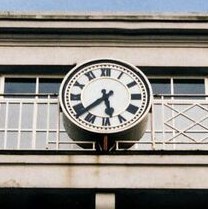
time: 5:38
